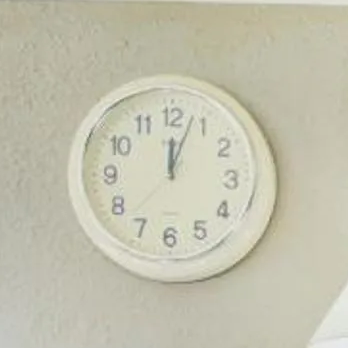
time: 12:03
